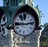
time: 9:13
